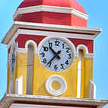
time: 10:36
